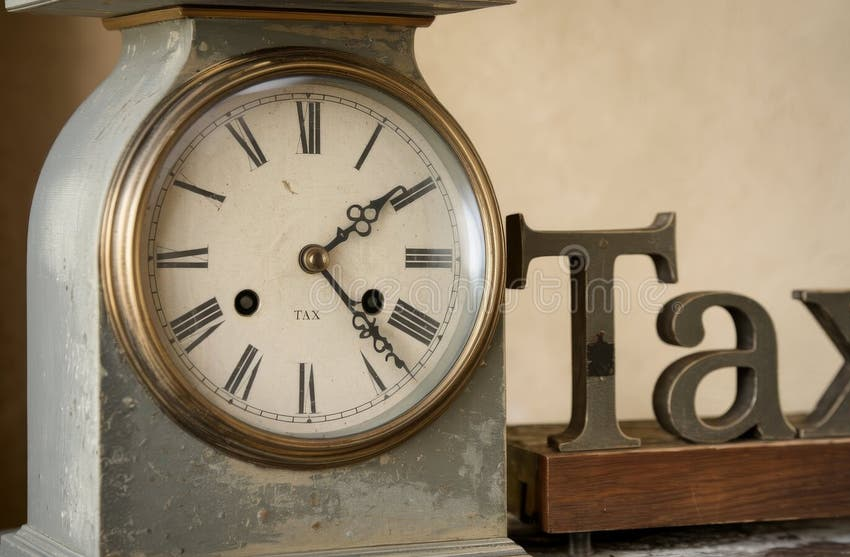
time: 1:22
